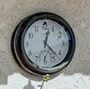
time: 12:22
